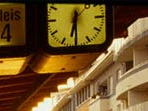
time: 6:29
